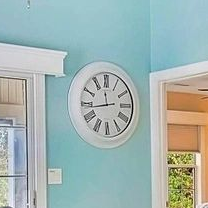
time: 11:43
